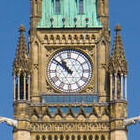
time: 10:51
